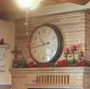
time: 10:42
